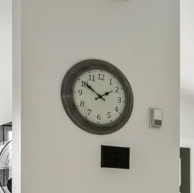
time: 1:50
